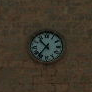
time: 10:36
